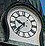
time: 9:37
